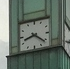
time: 8:21
